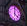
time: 4:01
